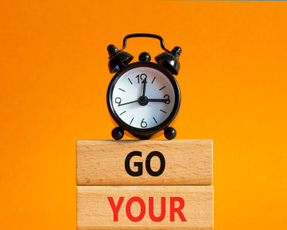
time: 3:01
